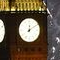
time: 12:09
